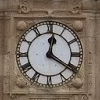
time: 12:20
